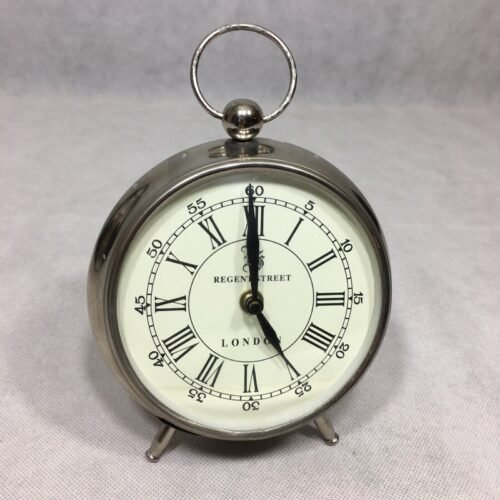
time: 4:59
